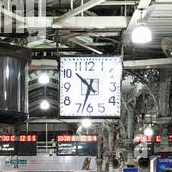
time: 10:33
